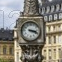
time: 3:18
